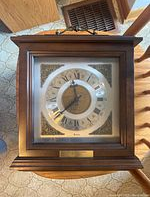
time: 11:37
